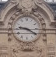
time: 9:20
